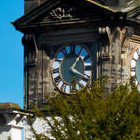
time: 1:18
